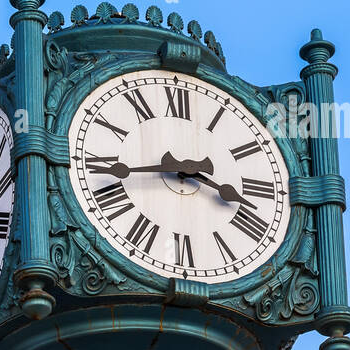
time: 3:43
